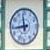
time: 11:43
